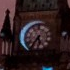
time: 5:35
